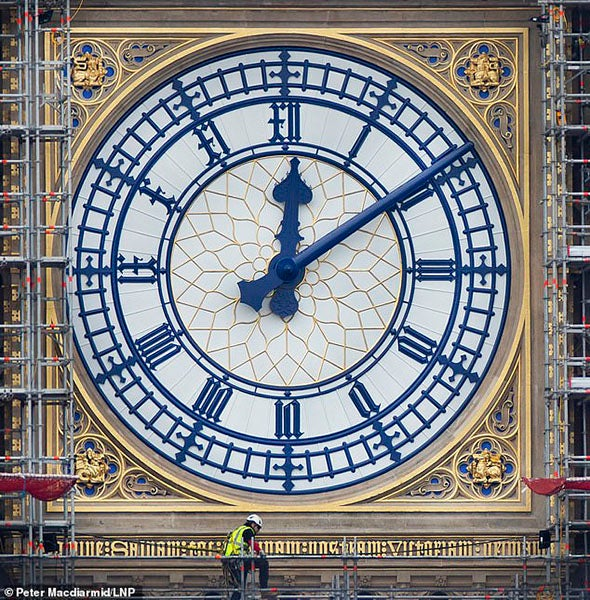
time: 12:09
